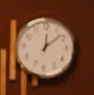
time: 12:08
